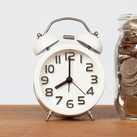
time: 8:00
